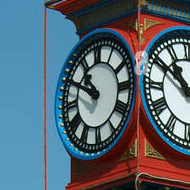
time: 10:49
